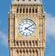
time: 4:09
